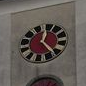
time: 12:23
